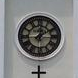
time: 12:09
